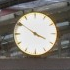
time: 3:51
